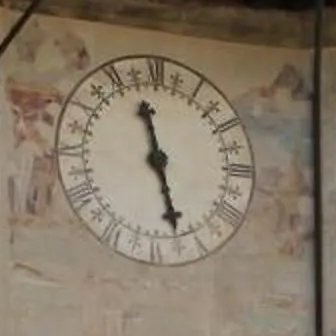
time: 11:27
